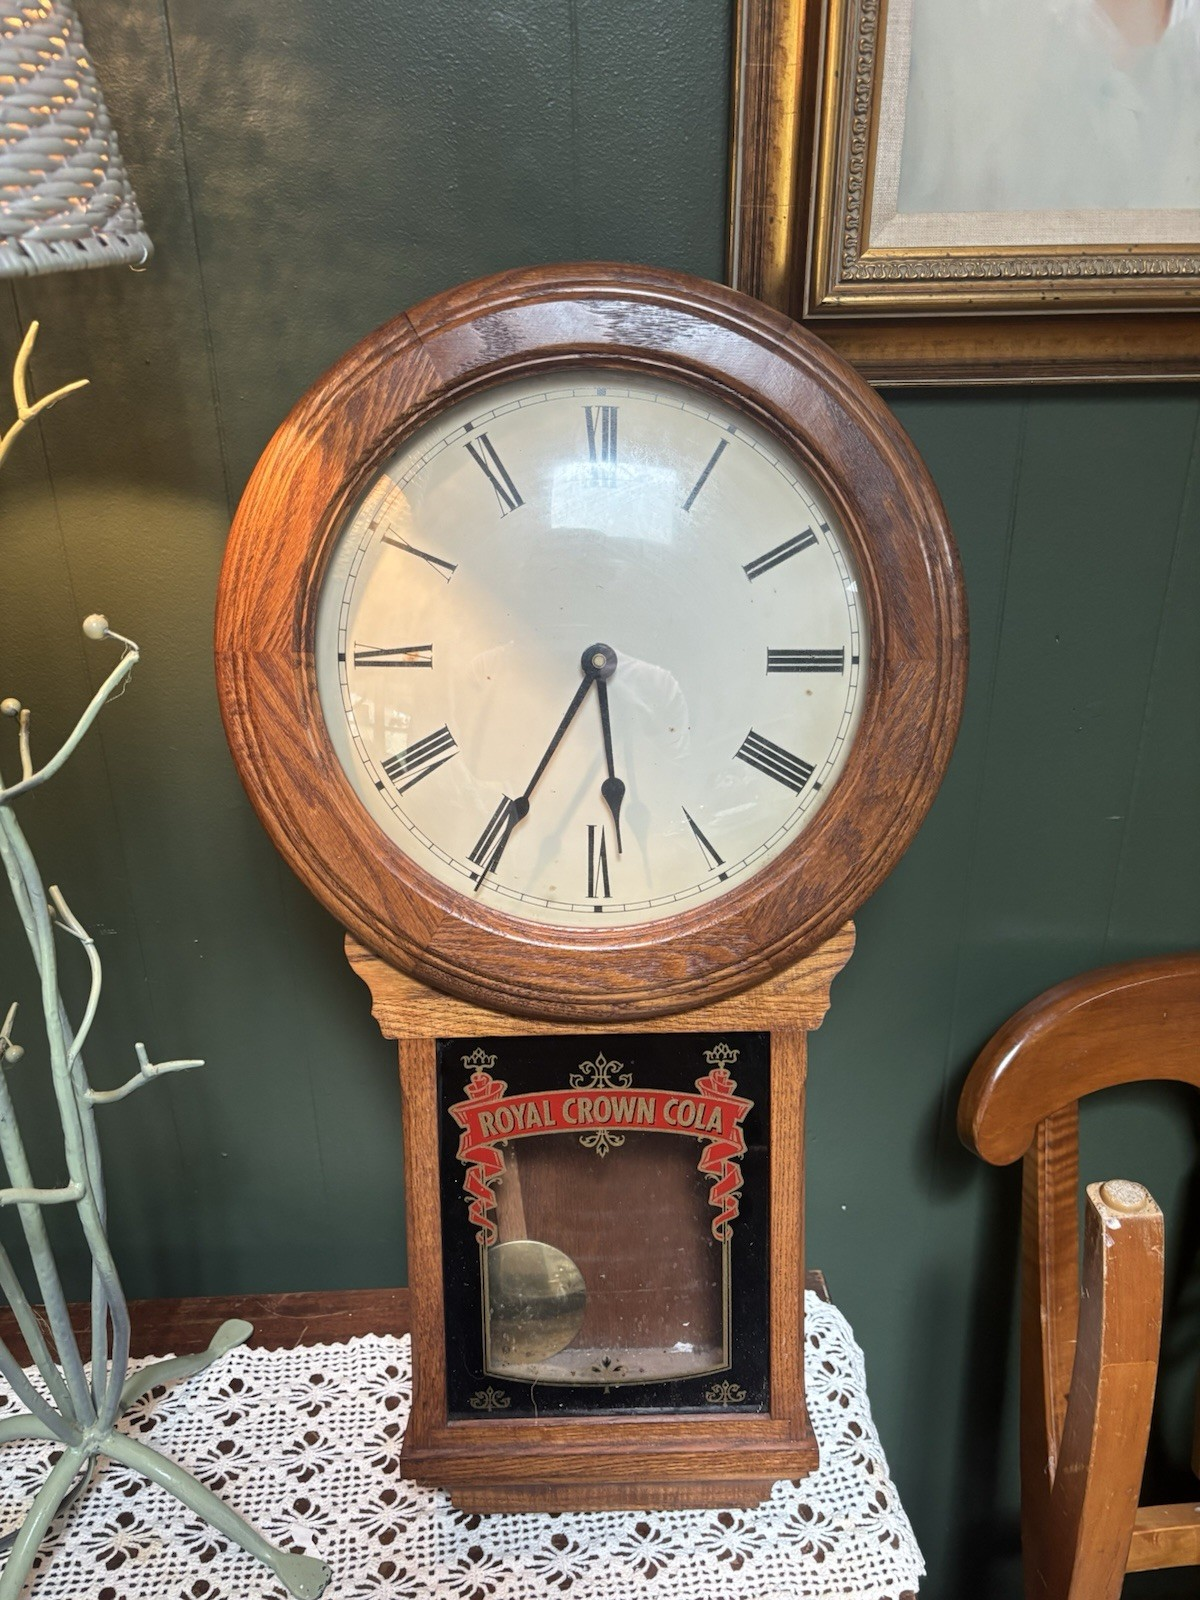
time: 5:34
